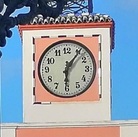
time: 6:06
